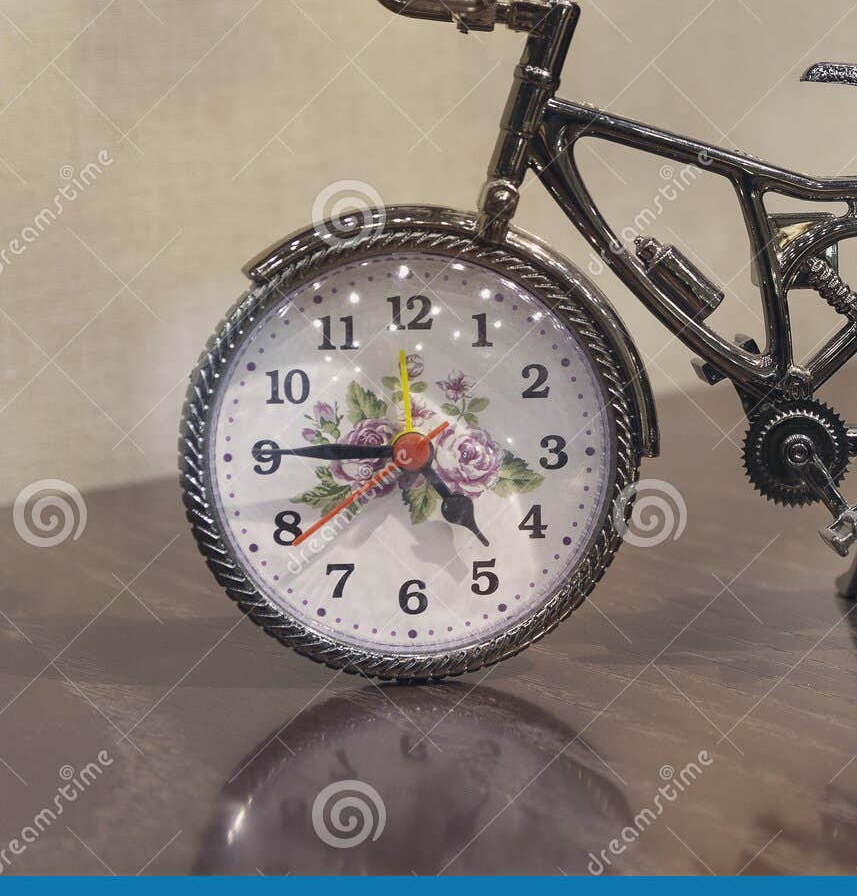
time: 4:45
